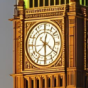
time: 12:29
